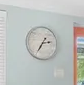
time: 2:35
